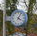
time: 4:04
